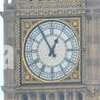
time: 12:55
